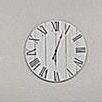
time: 6:03
